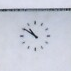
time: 10:50
